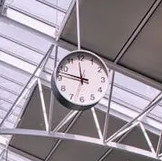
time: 11:47
